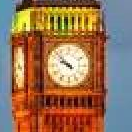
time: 9:52
